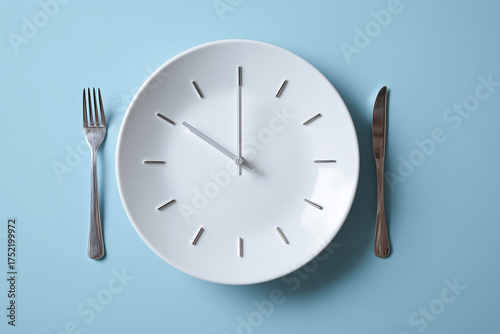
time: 10:00
